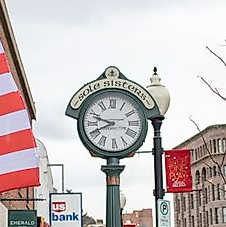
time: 9:41
